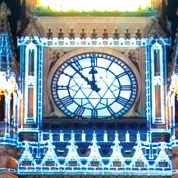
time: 11:53
